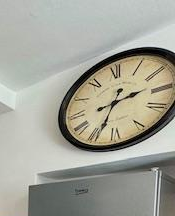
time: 2:33
